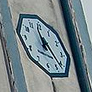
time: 11:22
